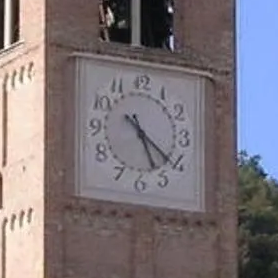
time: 5:21
